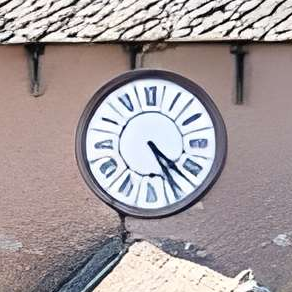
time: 4:25
